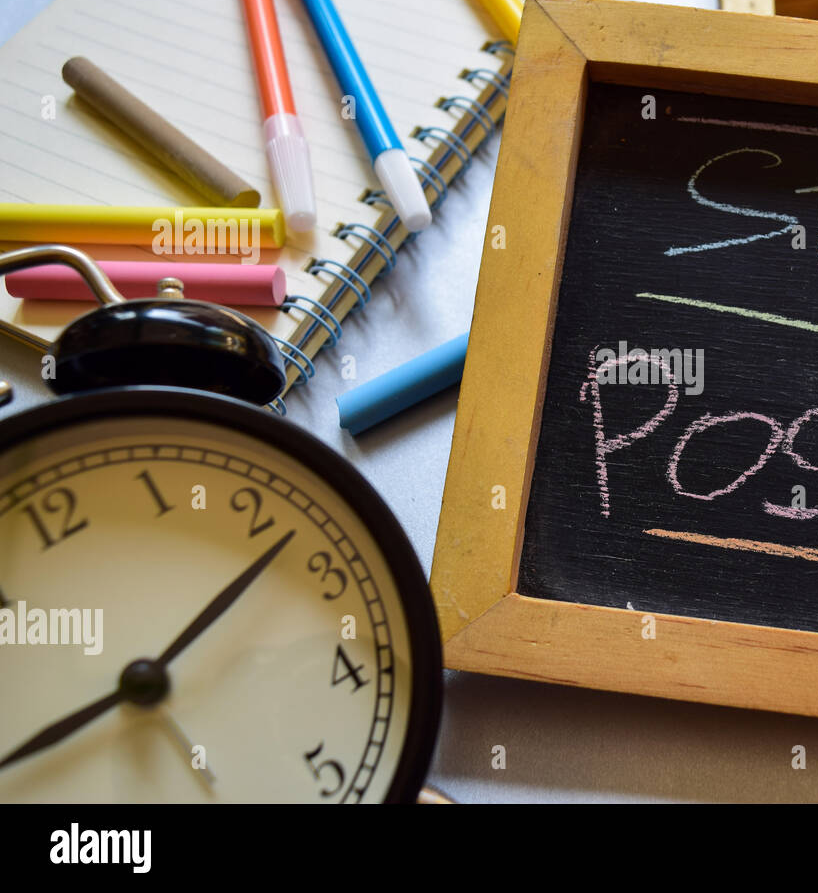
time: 8:07
